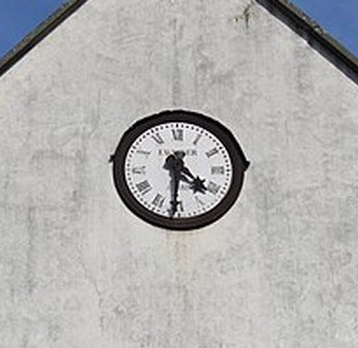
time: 4:30
